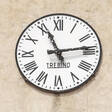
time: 11:13
